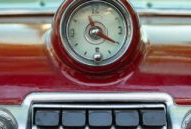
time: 11:20
